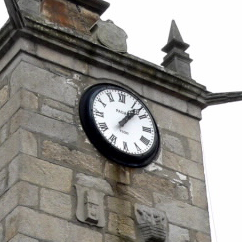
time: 1:07
